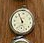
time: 5:54
